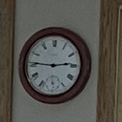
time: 2:45
